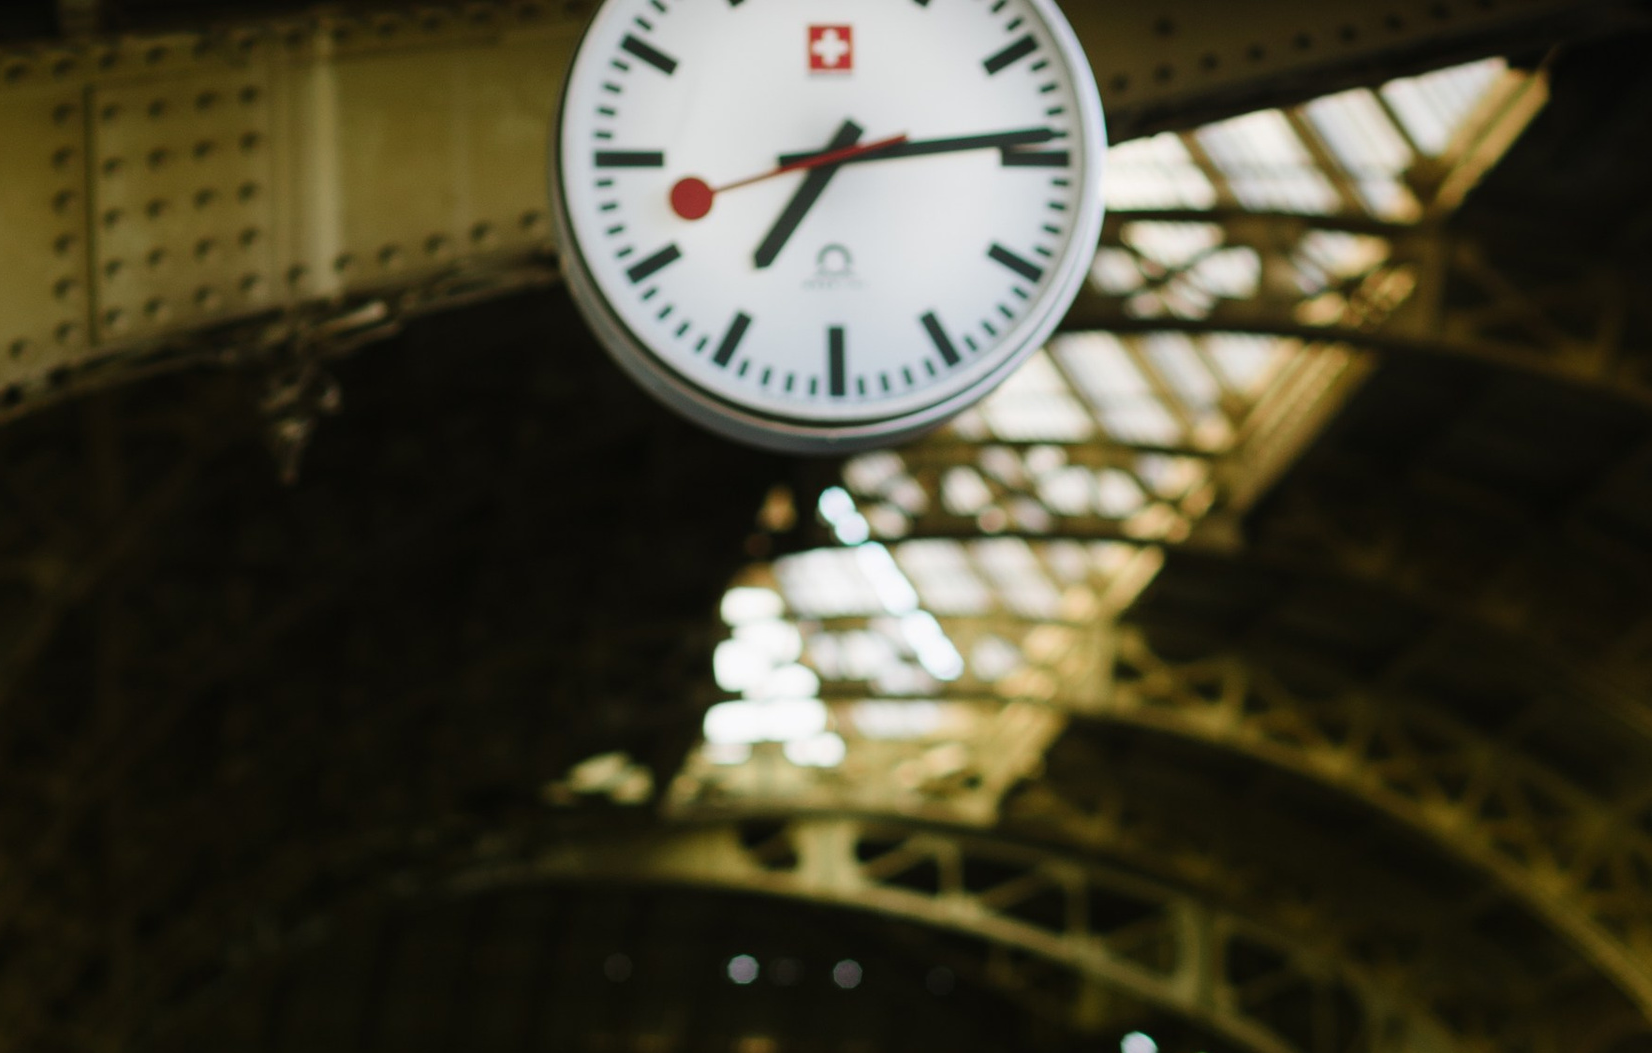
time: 7:14
